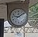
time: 9:09
